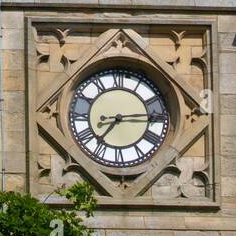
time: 7:14
